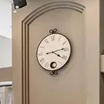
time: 4:13
